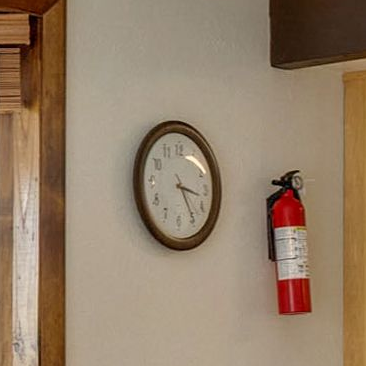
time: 3:24
